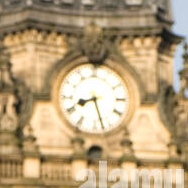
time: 8:27
